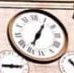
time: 7:05
